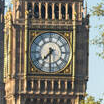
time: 7:30
